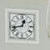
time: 12:42
